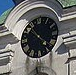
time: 10:20
